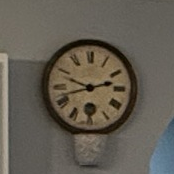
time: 9:42
